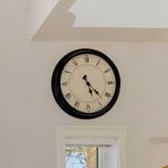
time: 5:22
